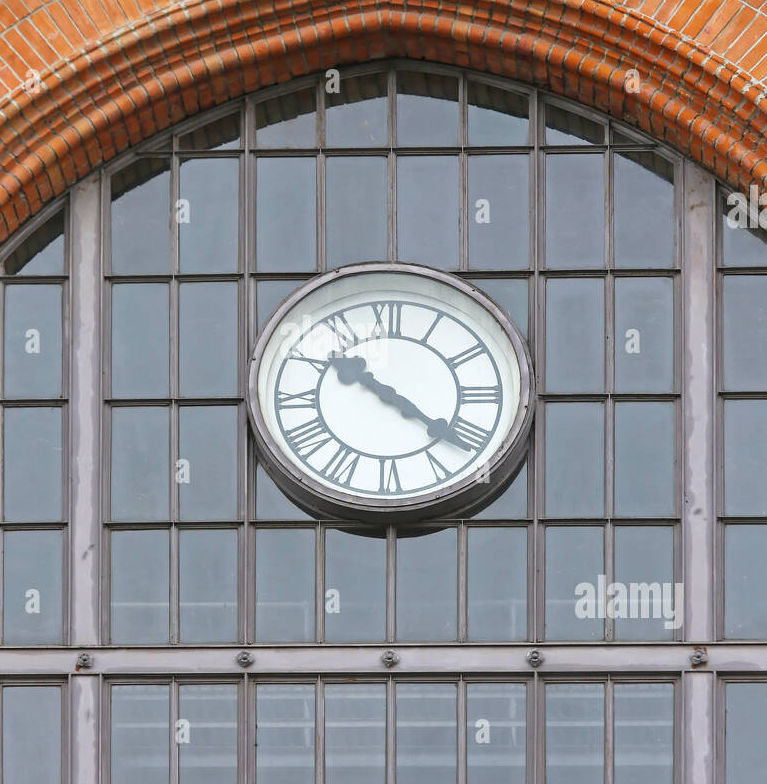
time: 10:21
